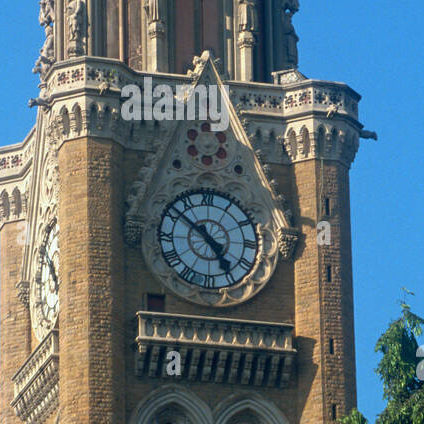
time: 4:50
